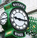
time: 9:15
